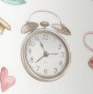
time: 11:13
